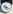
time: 5:18
